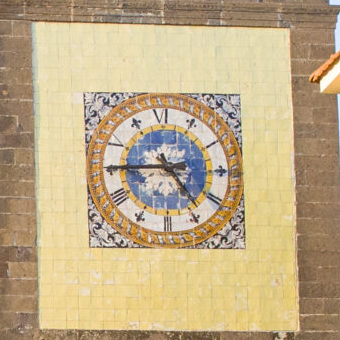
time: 4:45
